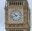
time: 10:42
